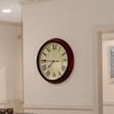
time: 7:45
